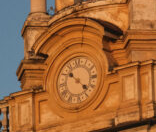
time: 10:21
